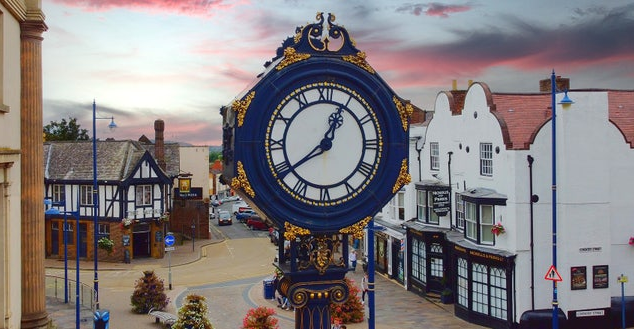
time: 12:39
